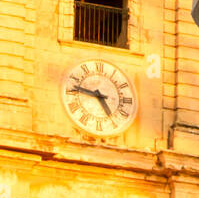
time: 4:46
